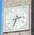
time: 2:33
